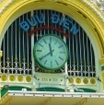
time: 11:39
